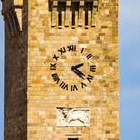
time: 2:21
